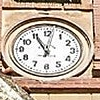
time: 11:02
